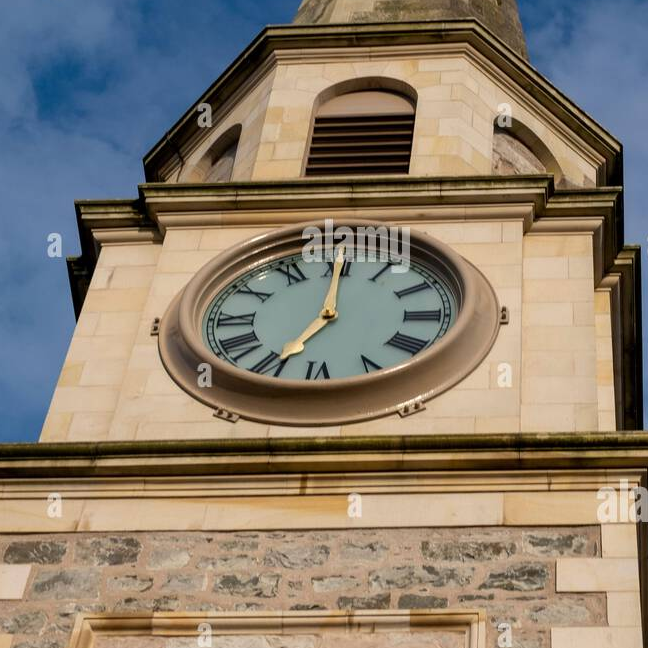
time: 7:00
